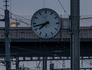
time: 7:42
